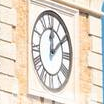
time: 12:09
